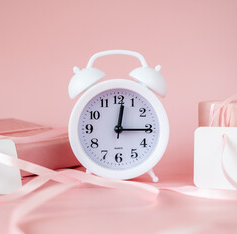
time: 12:15
